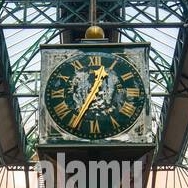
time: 12:34
